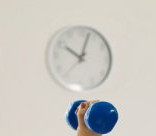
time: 10:02
